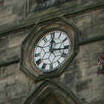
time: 12:15
